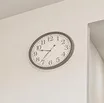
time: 9:36
